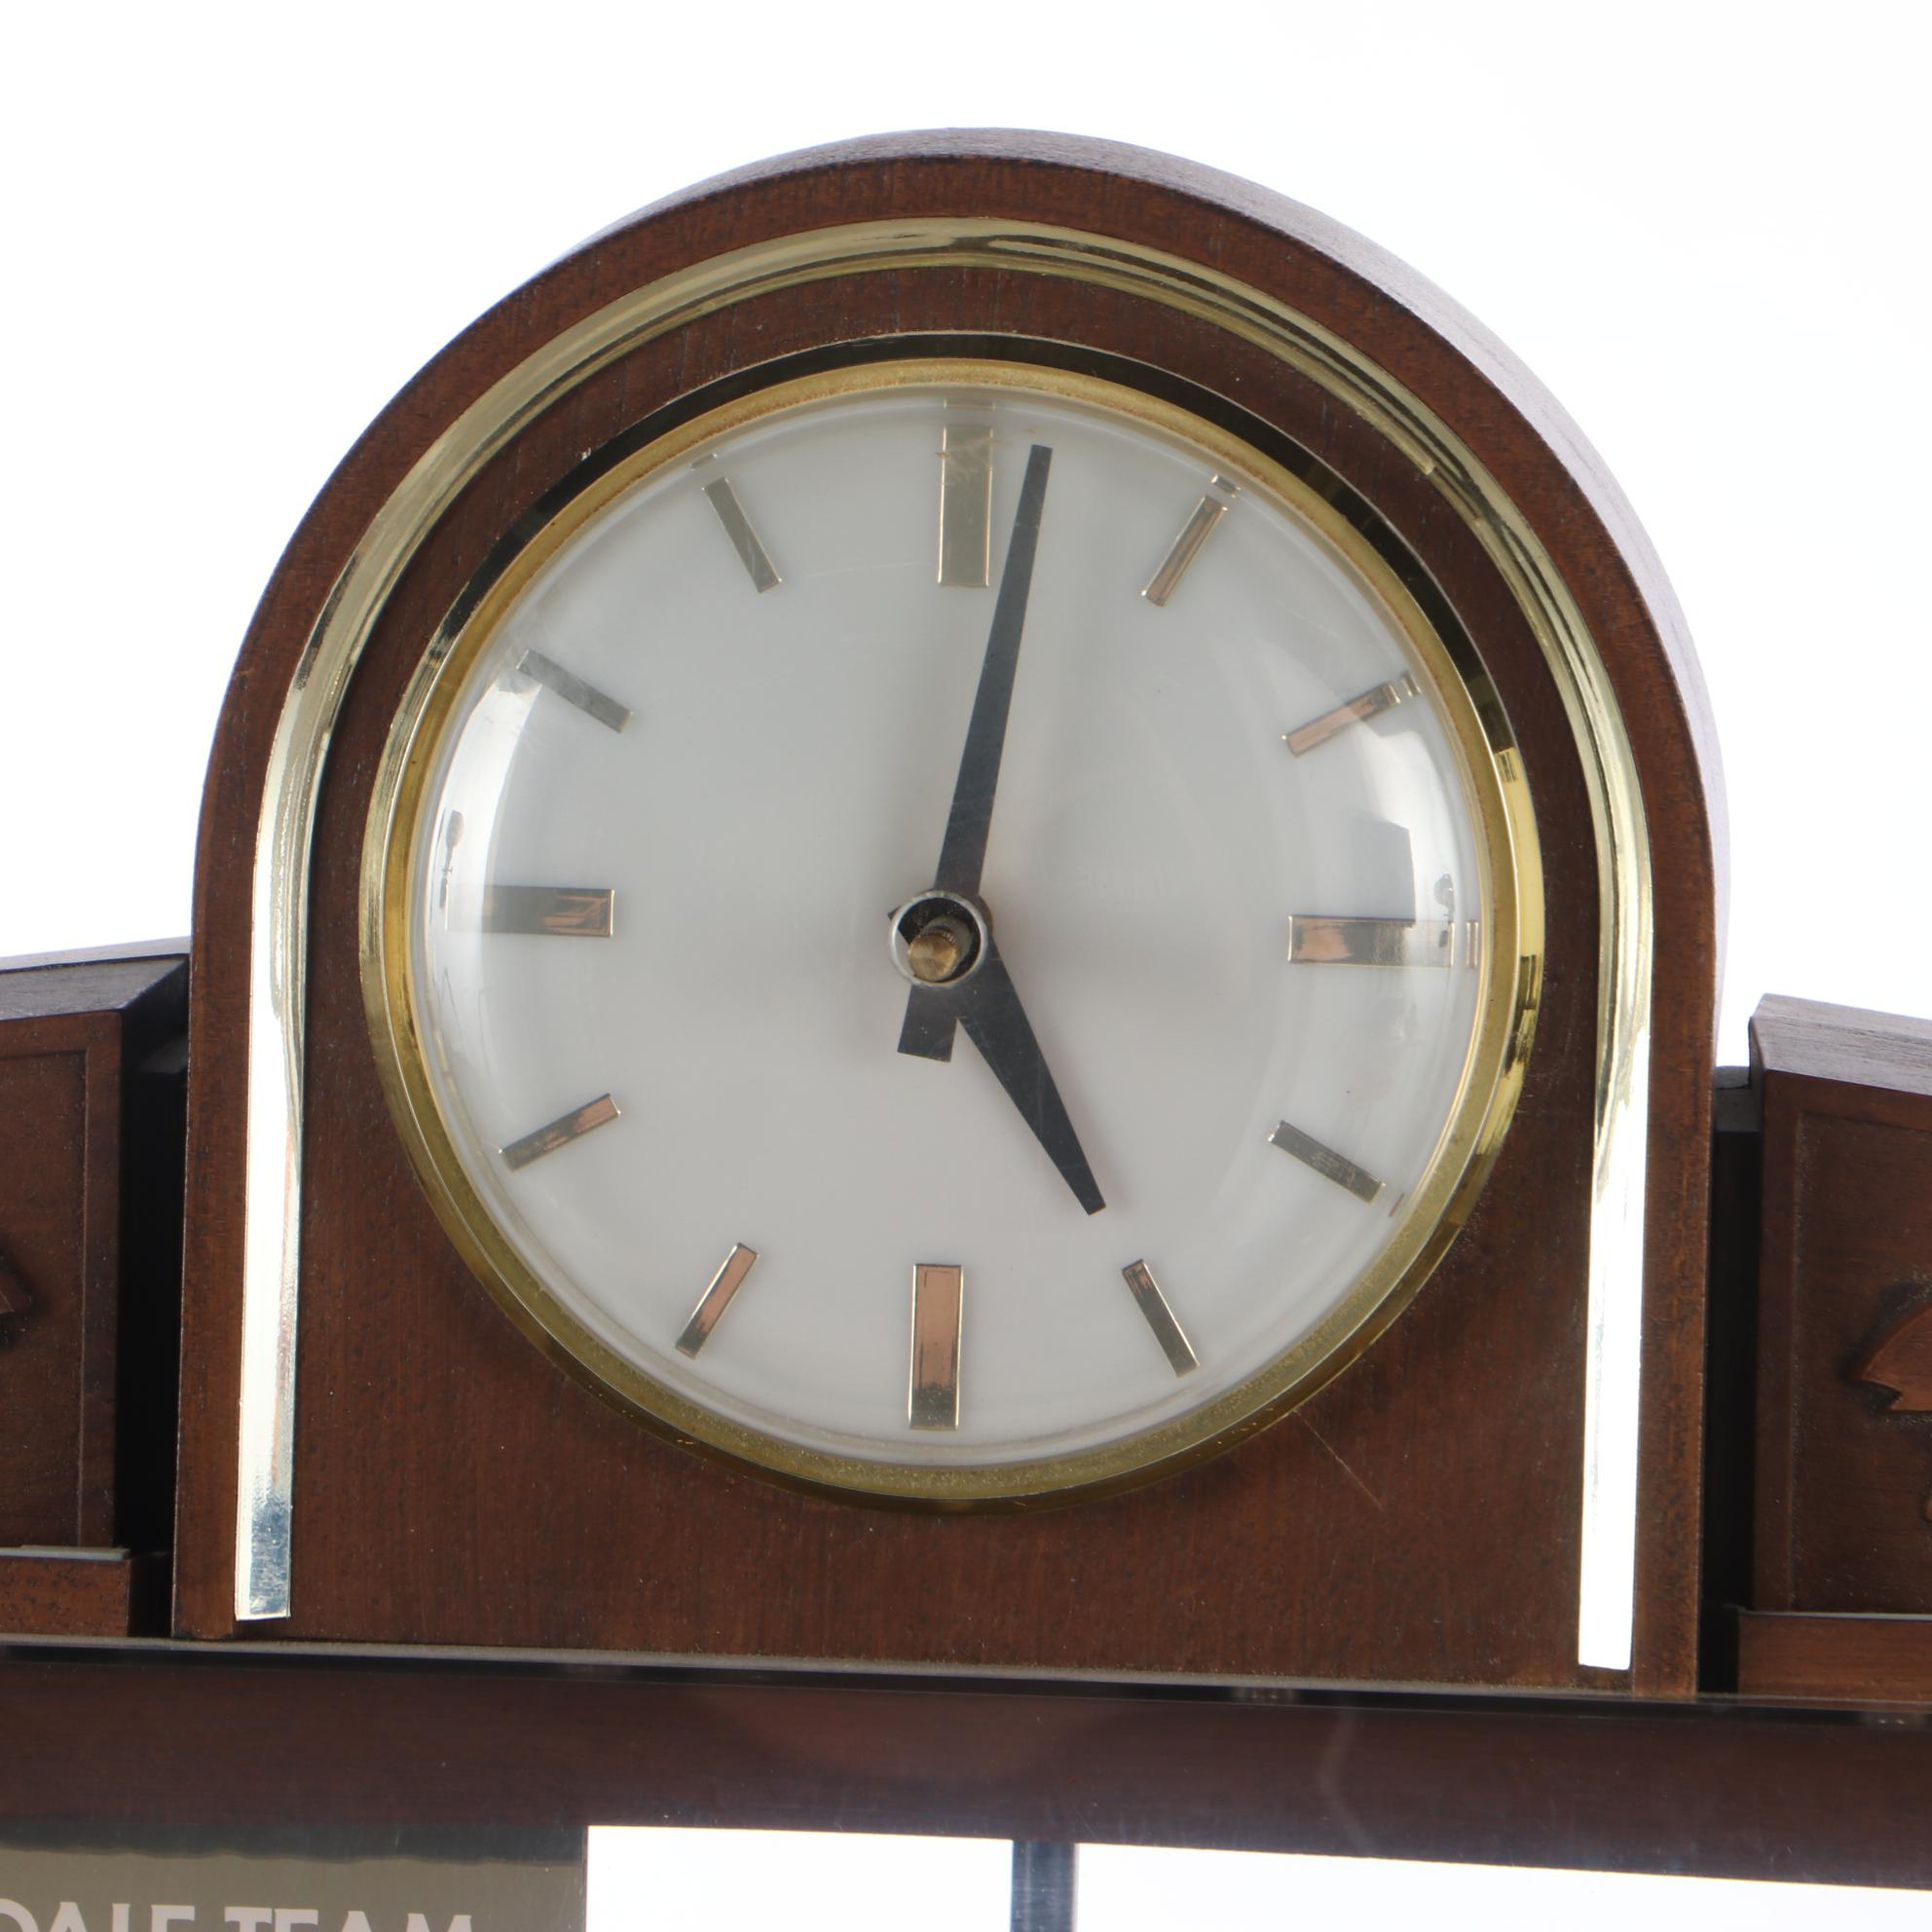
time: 5:01
